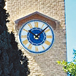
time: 10:07
